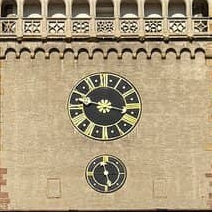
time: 9:15
